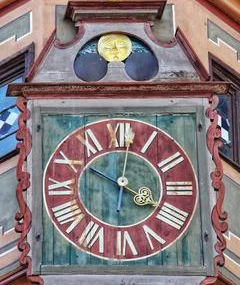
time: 3:50
